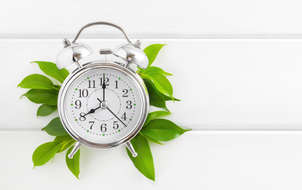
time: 8:00
